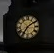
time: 7:09
